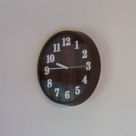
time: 9:45
